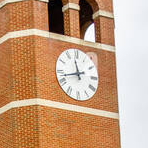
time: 11:42
